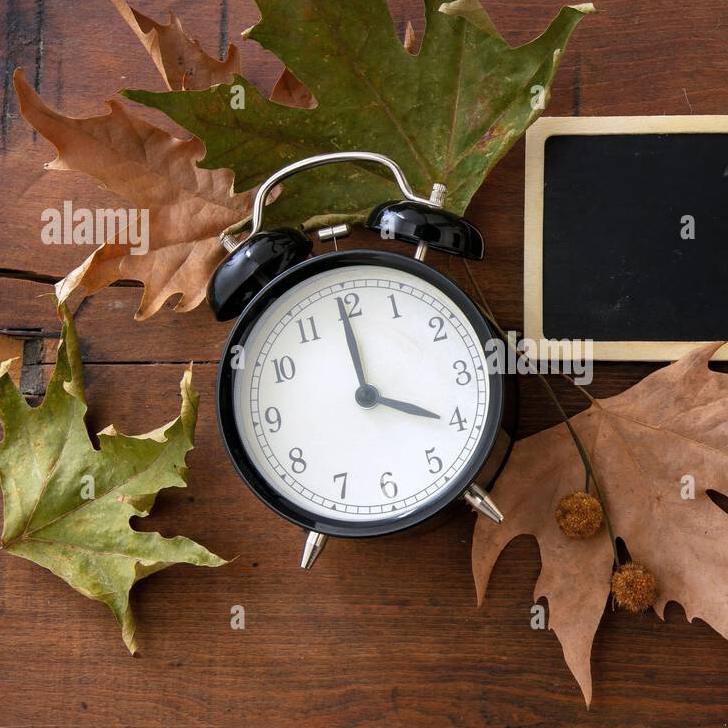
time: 3:59
